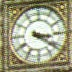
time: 3:21
